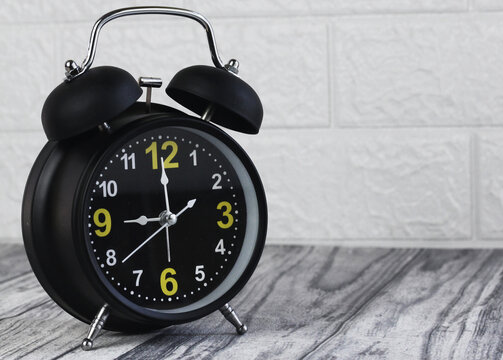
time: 8:59
